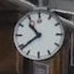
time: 10:38
